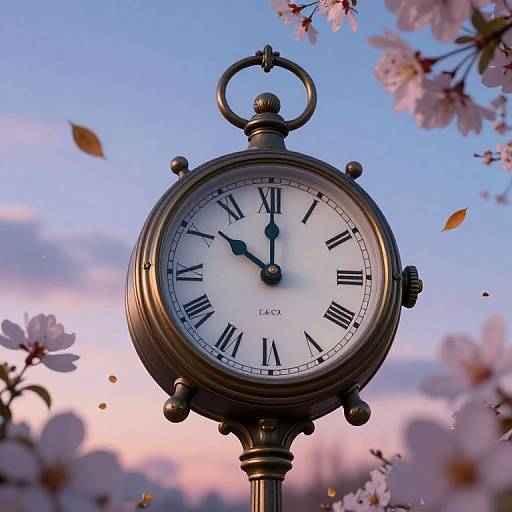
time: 10:00
